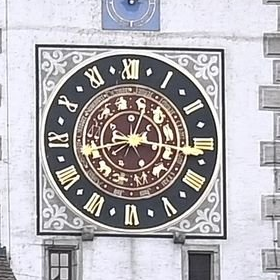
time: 8:16
